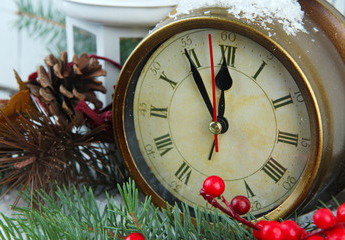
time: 11:54
